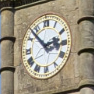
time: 2:52
